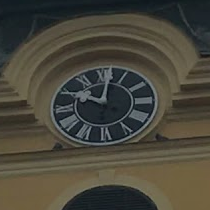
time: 10:01
